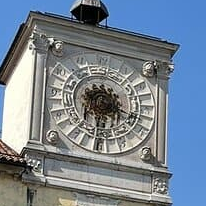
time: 6:18
